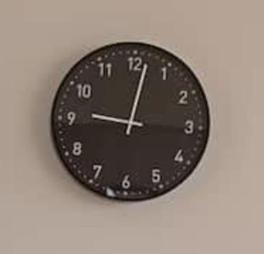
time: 9:01
